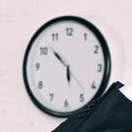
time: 5:51
